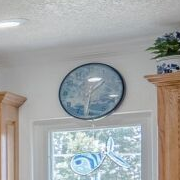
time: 1:31
